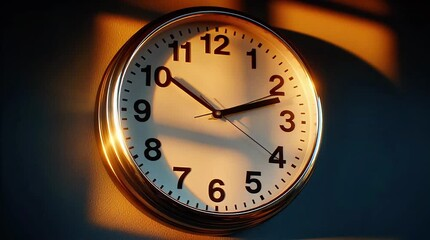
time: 10:11
